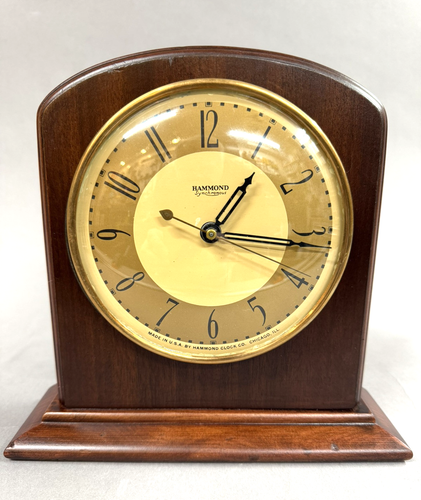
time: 1:16
